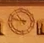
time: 10:47
